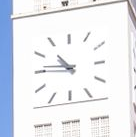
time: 10:46
